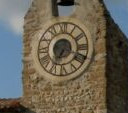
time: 7:18
